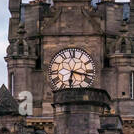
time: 6:17
